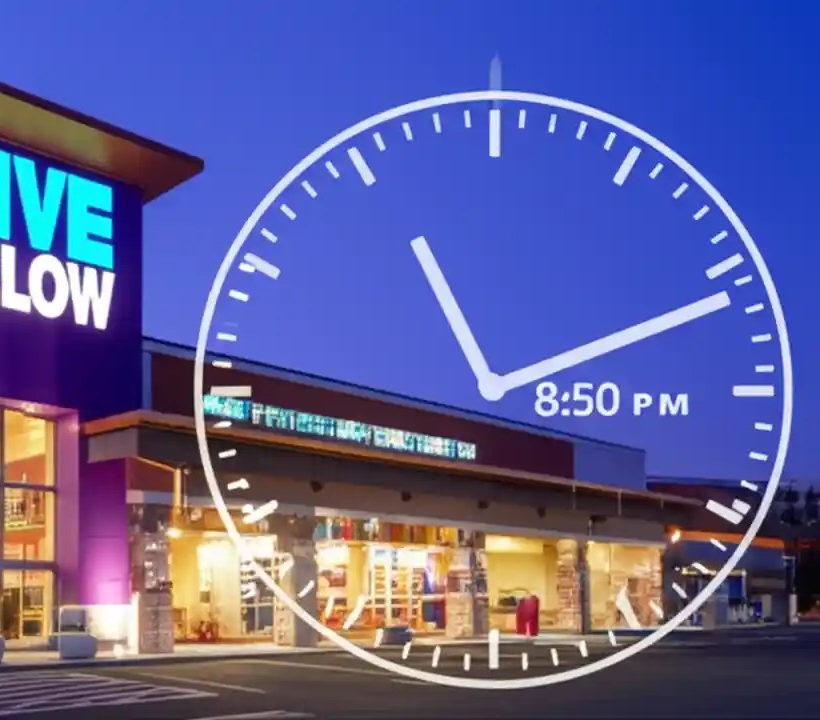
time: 11:11
